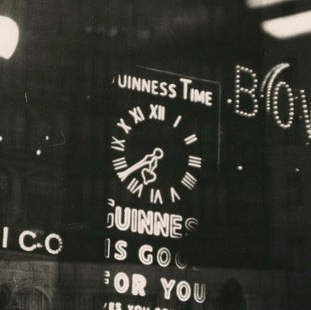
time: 6:38
